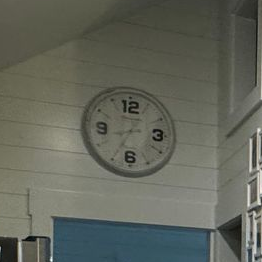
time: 8:34
